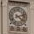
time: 4:12
